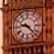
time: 9:22
